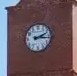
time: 2:15
